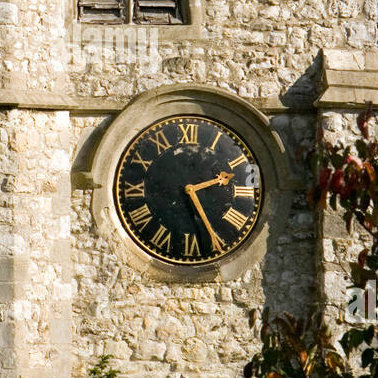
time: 2:25
